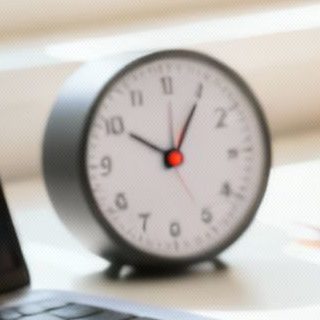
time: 10:05
